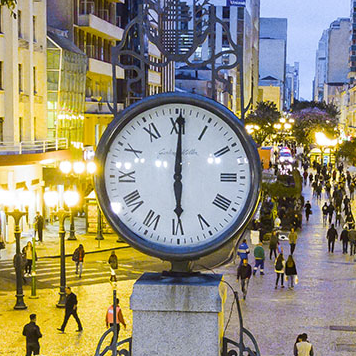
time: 6:00
